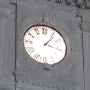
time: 1:16
